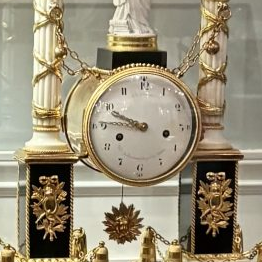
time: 9:45
